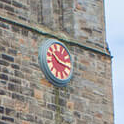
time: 10:17
